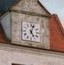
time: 5:03
